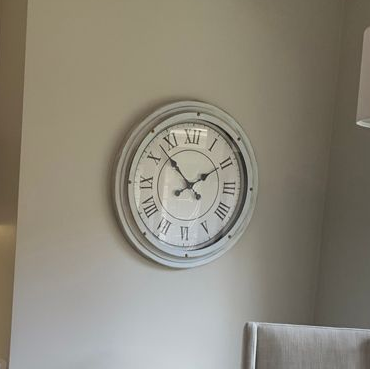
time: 1:52
